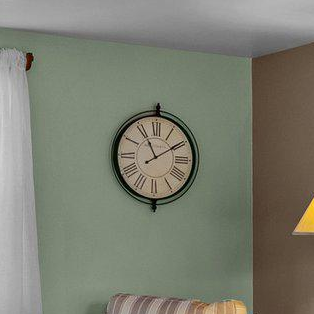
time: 11:09
